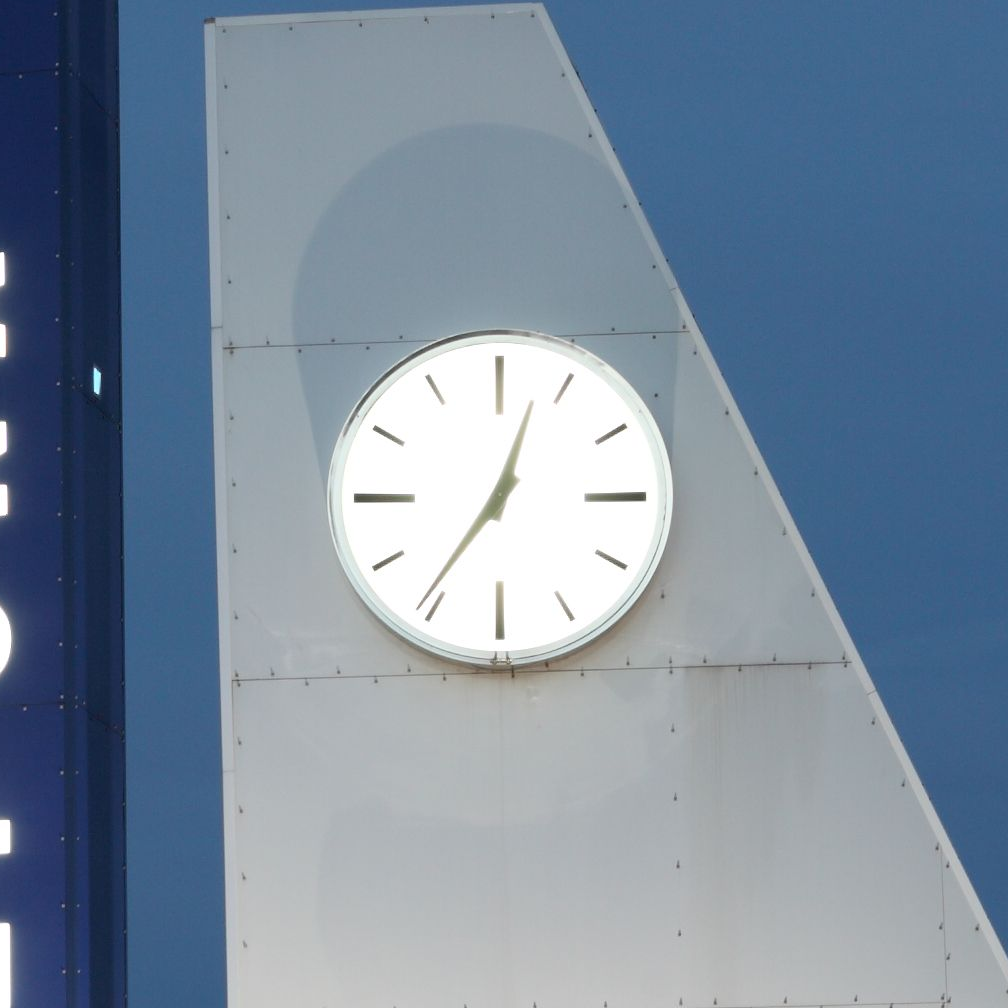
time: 12:36
